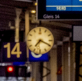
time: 7:19
